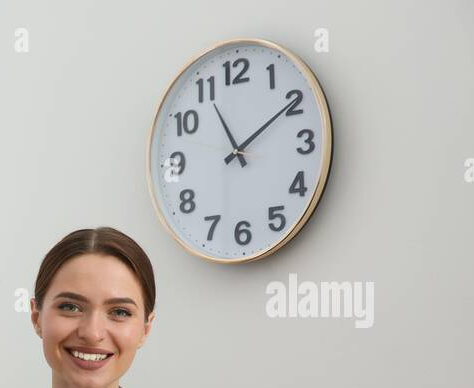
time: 11:09
